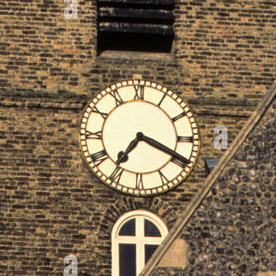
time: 7:19
